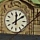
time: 12:09
